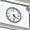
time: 4:29
